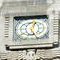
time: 12:26
